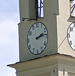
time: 2:13
